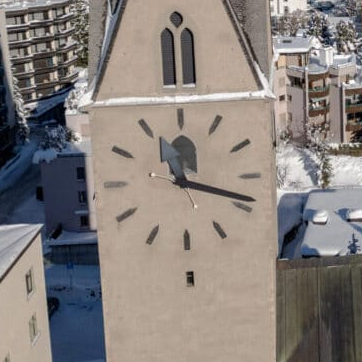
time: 12:17
